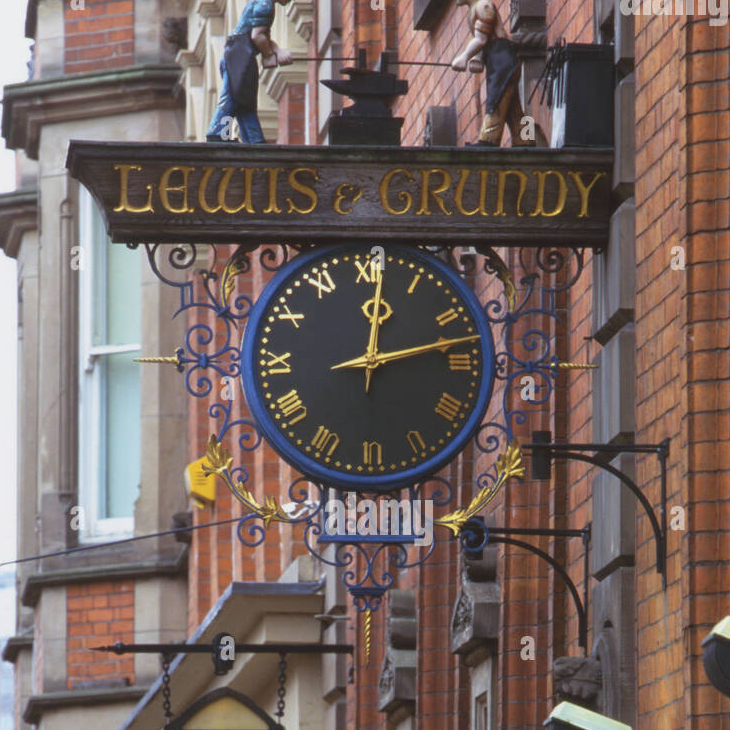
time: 12:13
